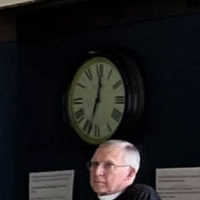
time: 12:33
